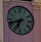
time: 6:41
